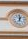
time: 1:01
